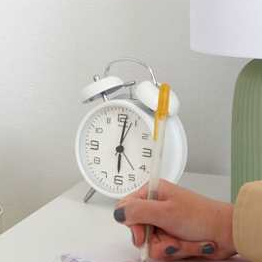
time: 6:01
